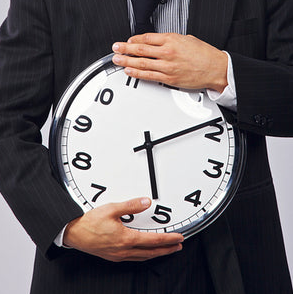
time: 5:08
